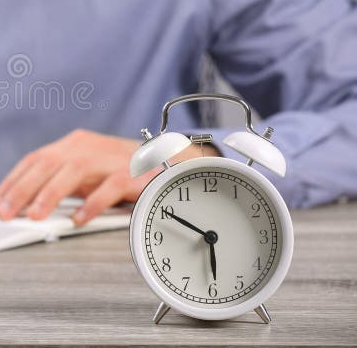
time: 5:50
